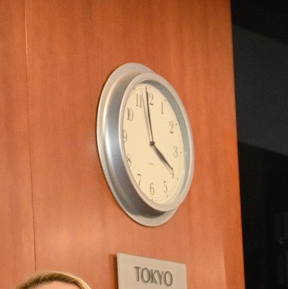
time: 3:58
